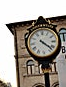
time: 4:22
